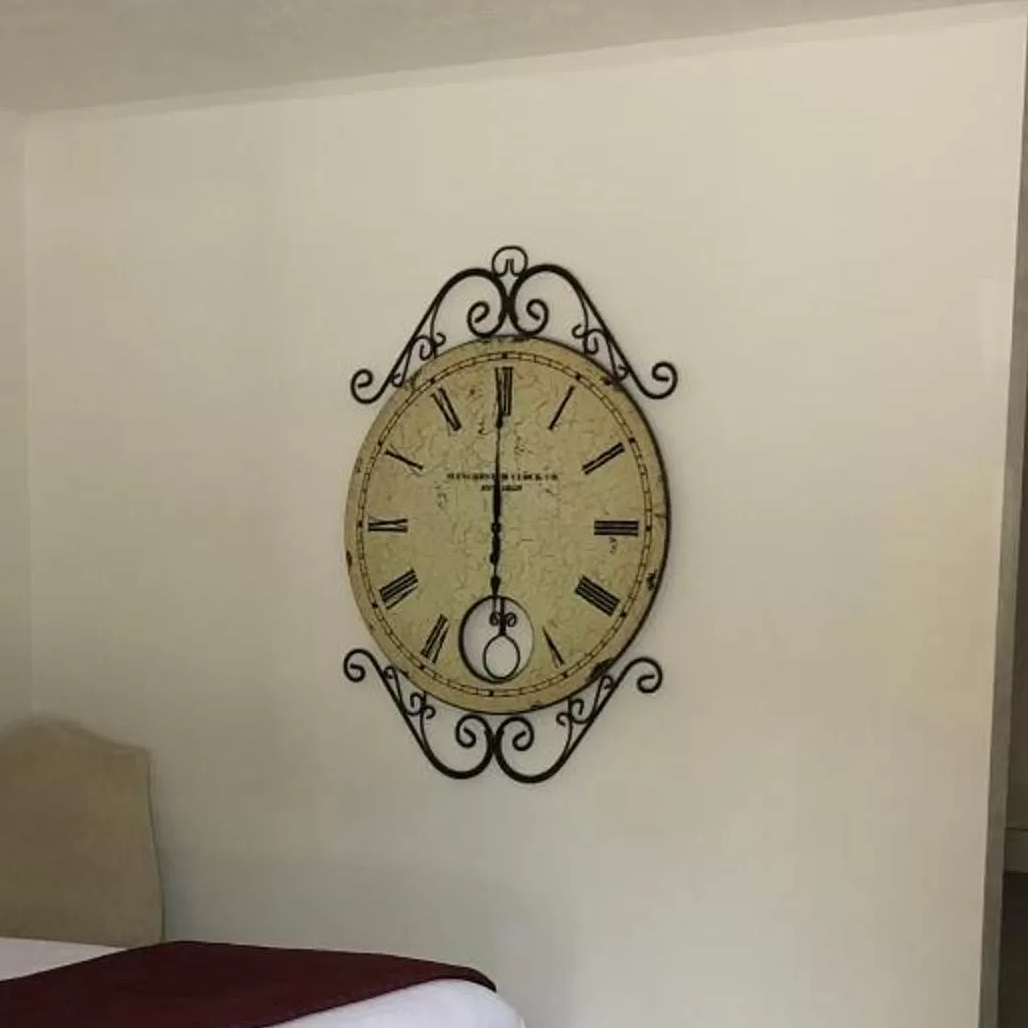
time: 5:59
